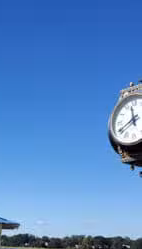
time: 11:40
